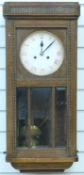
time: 12:07
